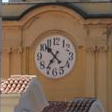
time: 10:36
